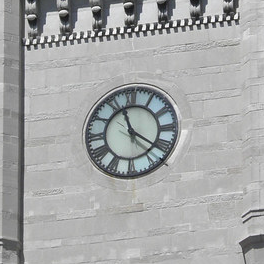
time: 11:21
